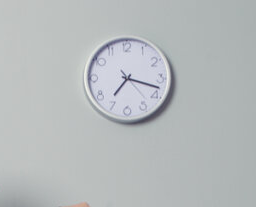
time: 7:17
